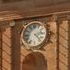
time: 2:23
